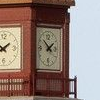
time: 1:51
